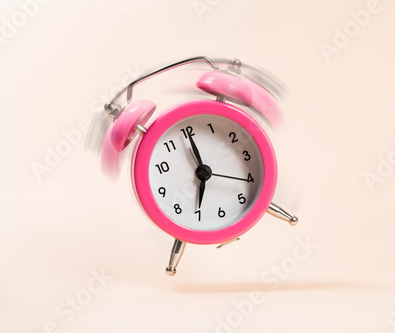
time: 7:00
